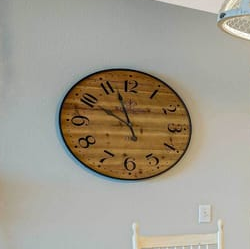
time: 9:56
